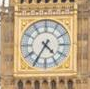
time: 4:35
